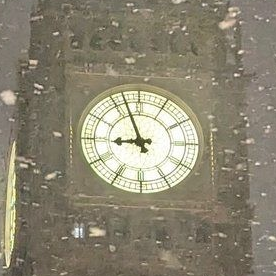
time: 8:56
